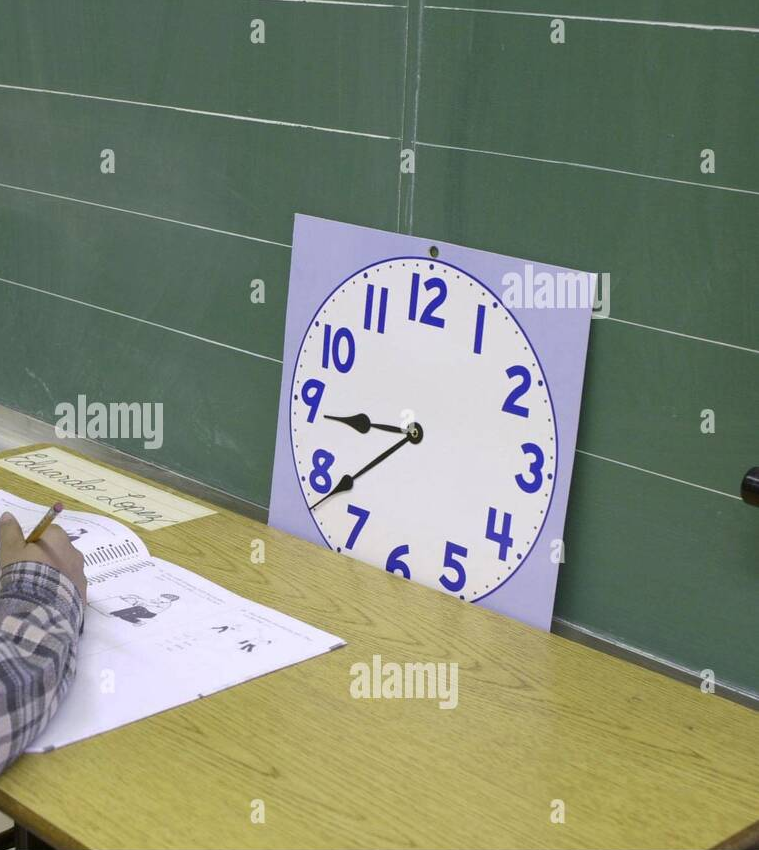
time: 8:38
